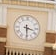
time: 3:29
